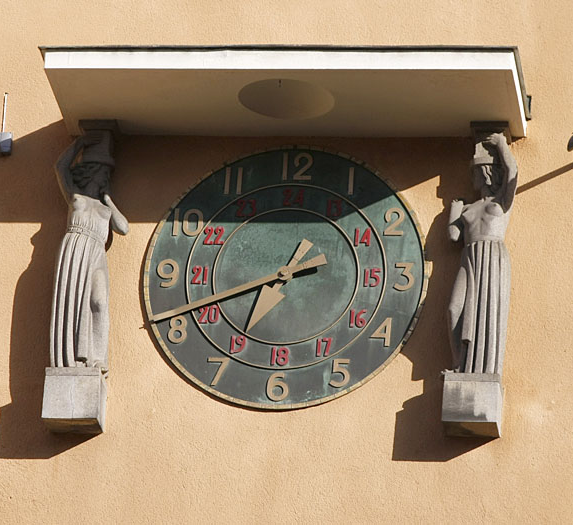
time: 2:41
